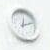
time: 12:11
